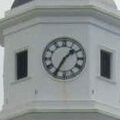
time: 1:35
